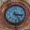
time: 3:24
